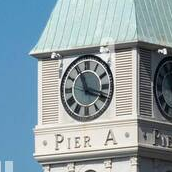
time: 11:18
